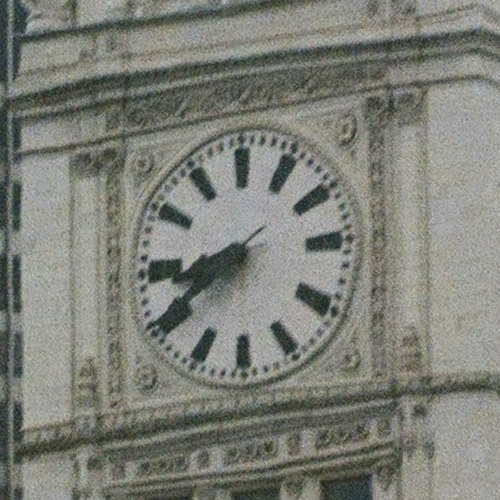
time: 8:39
